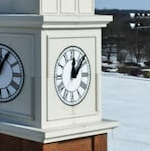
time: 12:07
